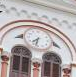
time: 7:32
